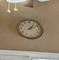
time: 1:11
